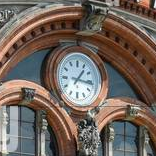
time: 1:16
